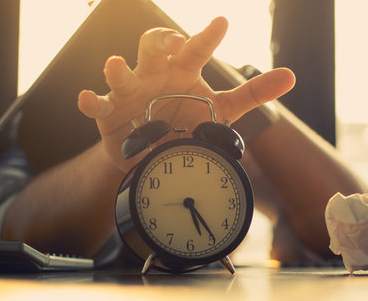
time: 5:24
